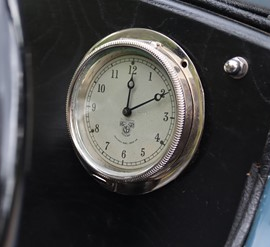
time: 12:10
